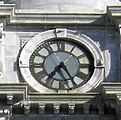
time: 7:24
